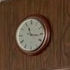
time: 11:16
